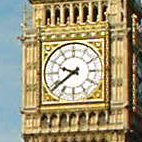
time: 9:38
